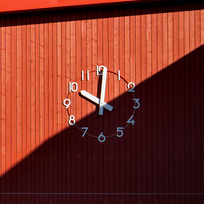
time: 10:00
